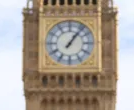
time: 1:06
